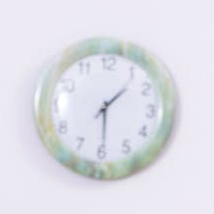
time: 1:29
